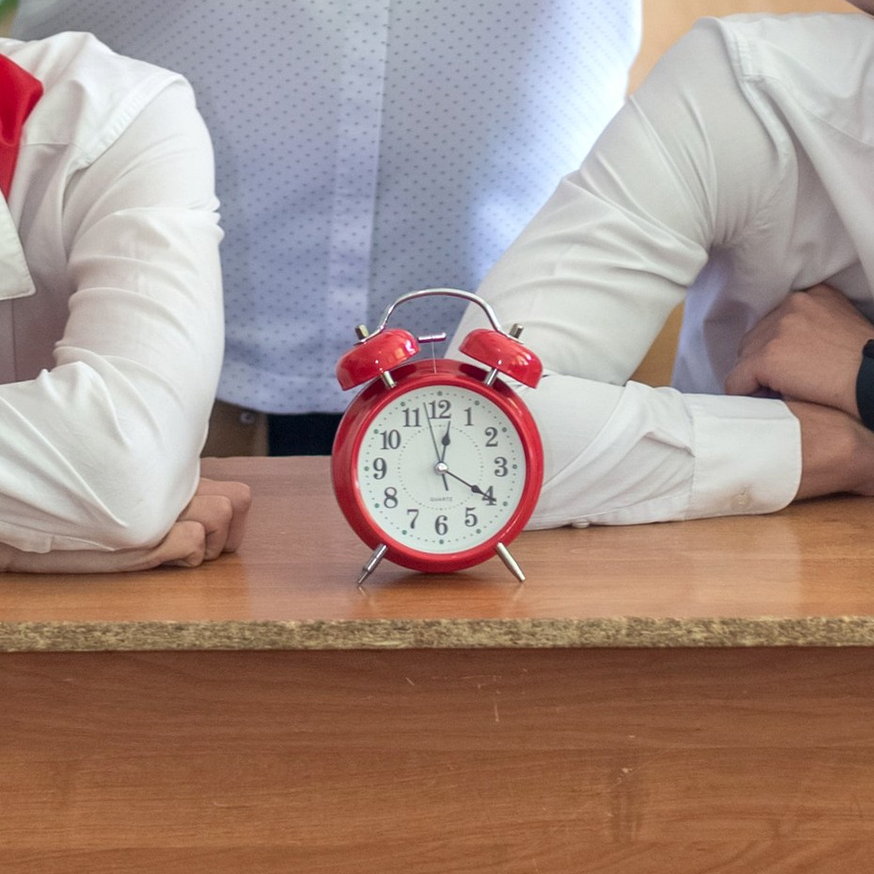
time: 12:20
